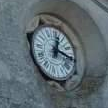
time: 12:16
